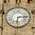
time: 6:14
